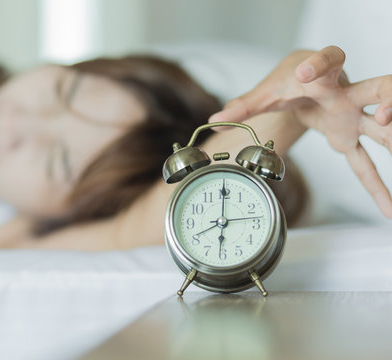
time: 6:00
